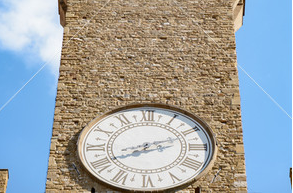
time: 8:11
